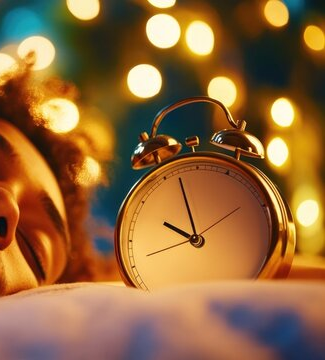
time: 9:57
